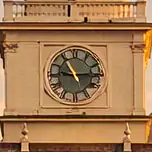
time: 9:14
